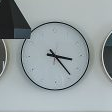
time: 3:23
